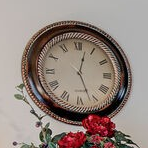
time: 12:26
